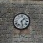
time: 1:28
